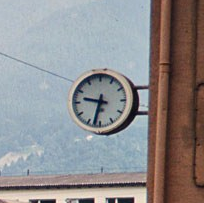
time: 9:32
